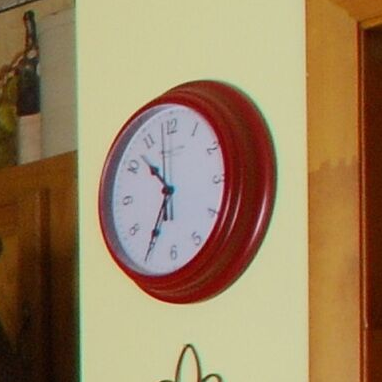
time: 10:34
